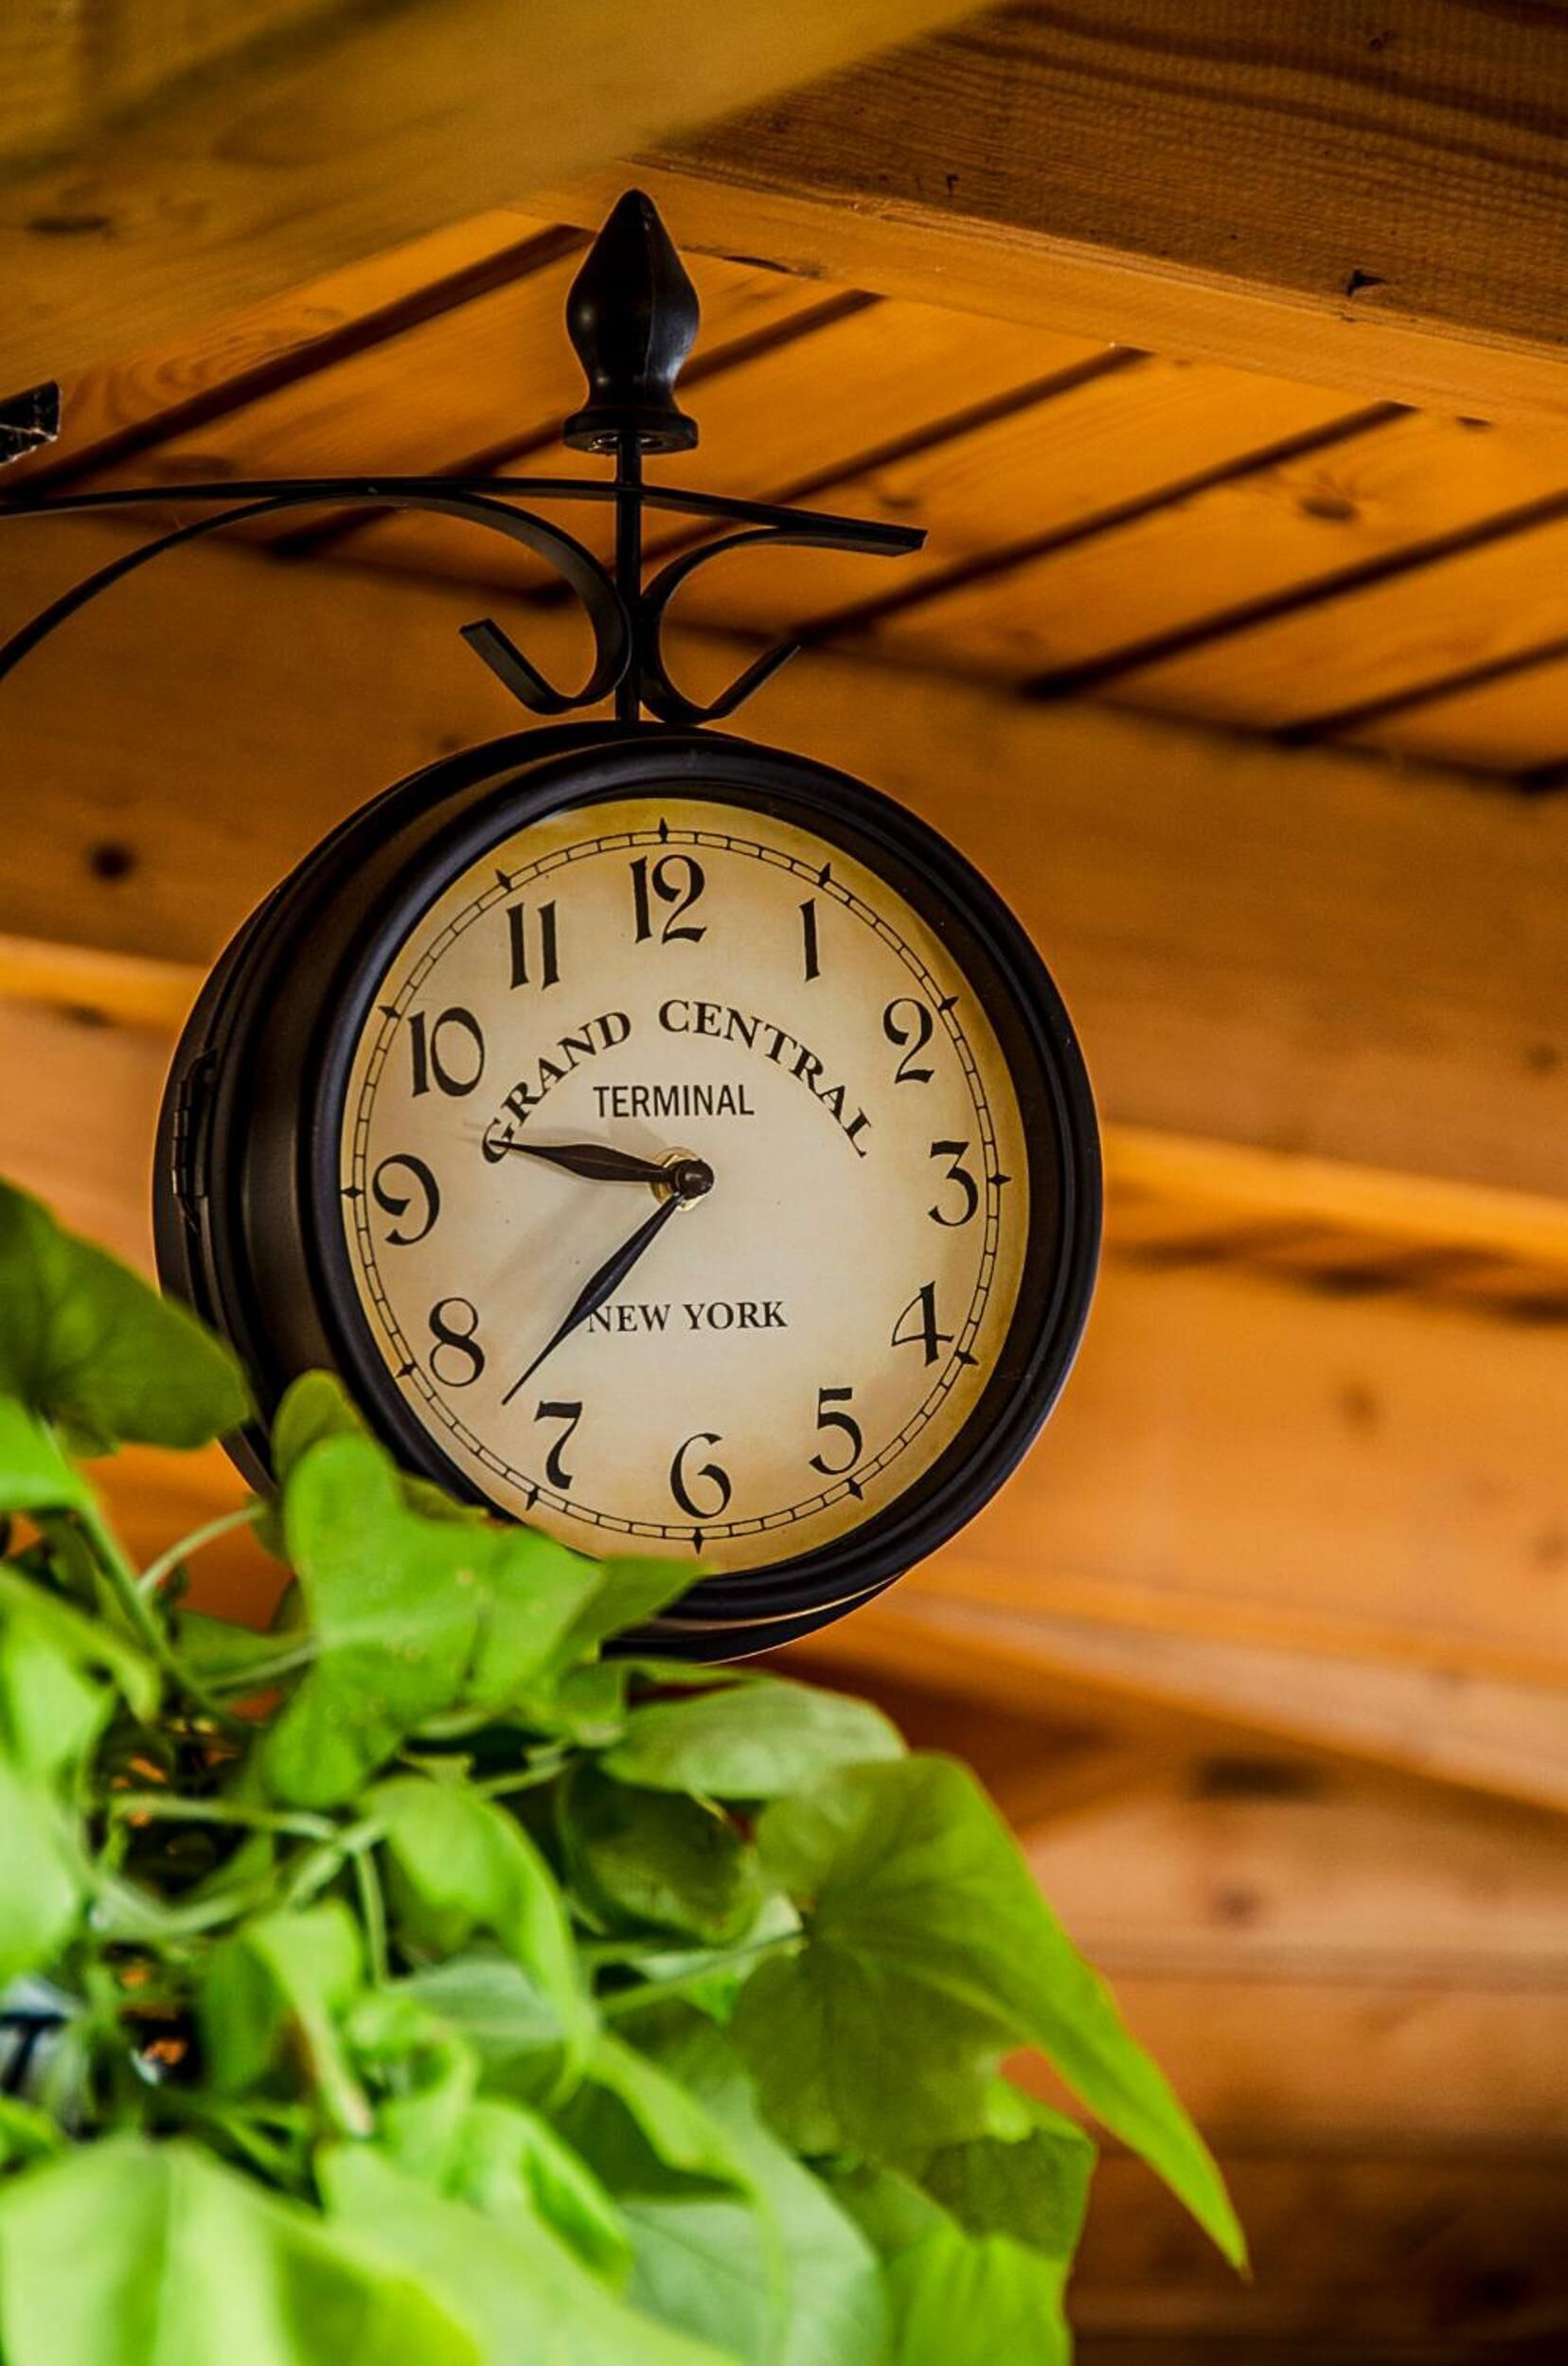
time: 9:36
